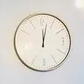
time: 12:02
